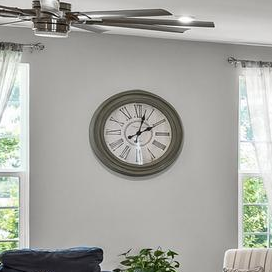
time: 2:02
